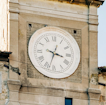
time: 3:33
